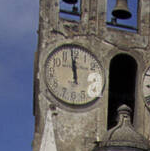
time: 11:58
